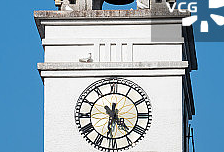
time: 4:31
